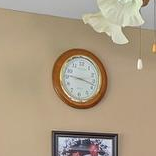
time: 9:17
